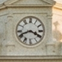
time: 3:41
